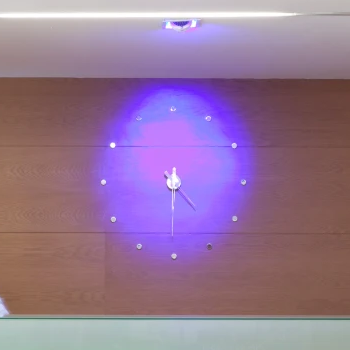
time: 4:30
